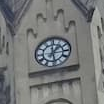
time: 1:28
